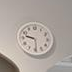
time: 9:29
